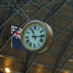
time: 11:14
